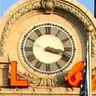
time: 3:18
